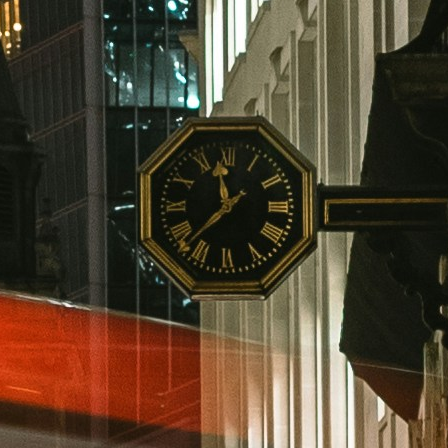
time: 11:37
